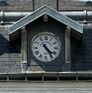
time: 4:24
